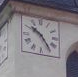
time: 10:24
